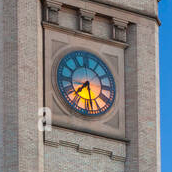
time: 7:28
